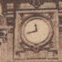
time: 11:42
